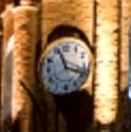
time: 11:18
